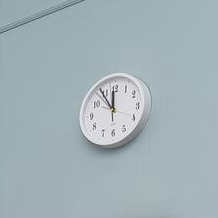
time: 11:54
